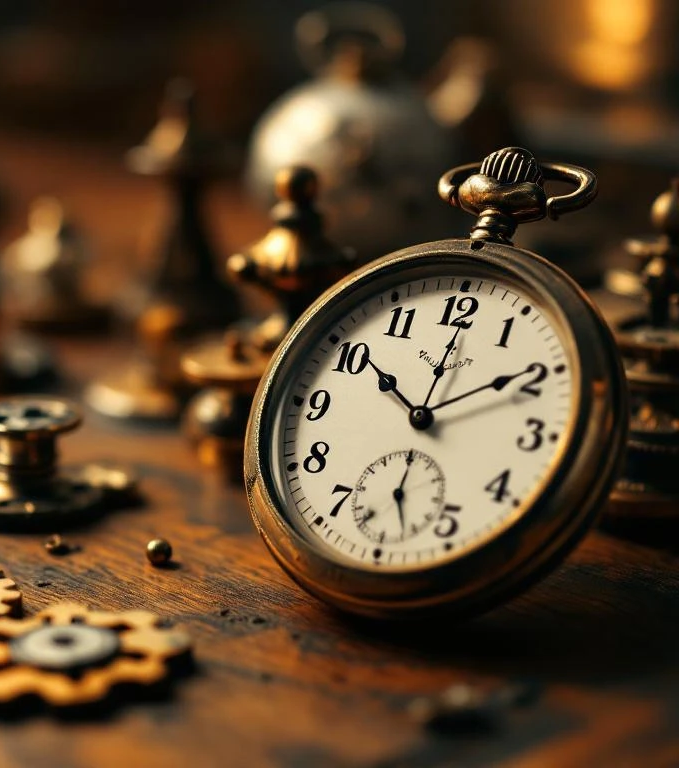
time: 10:00
